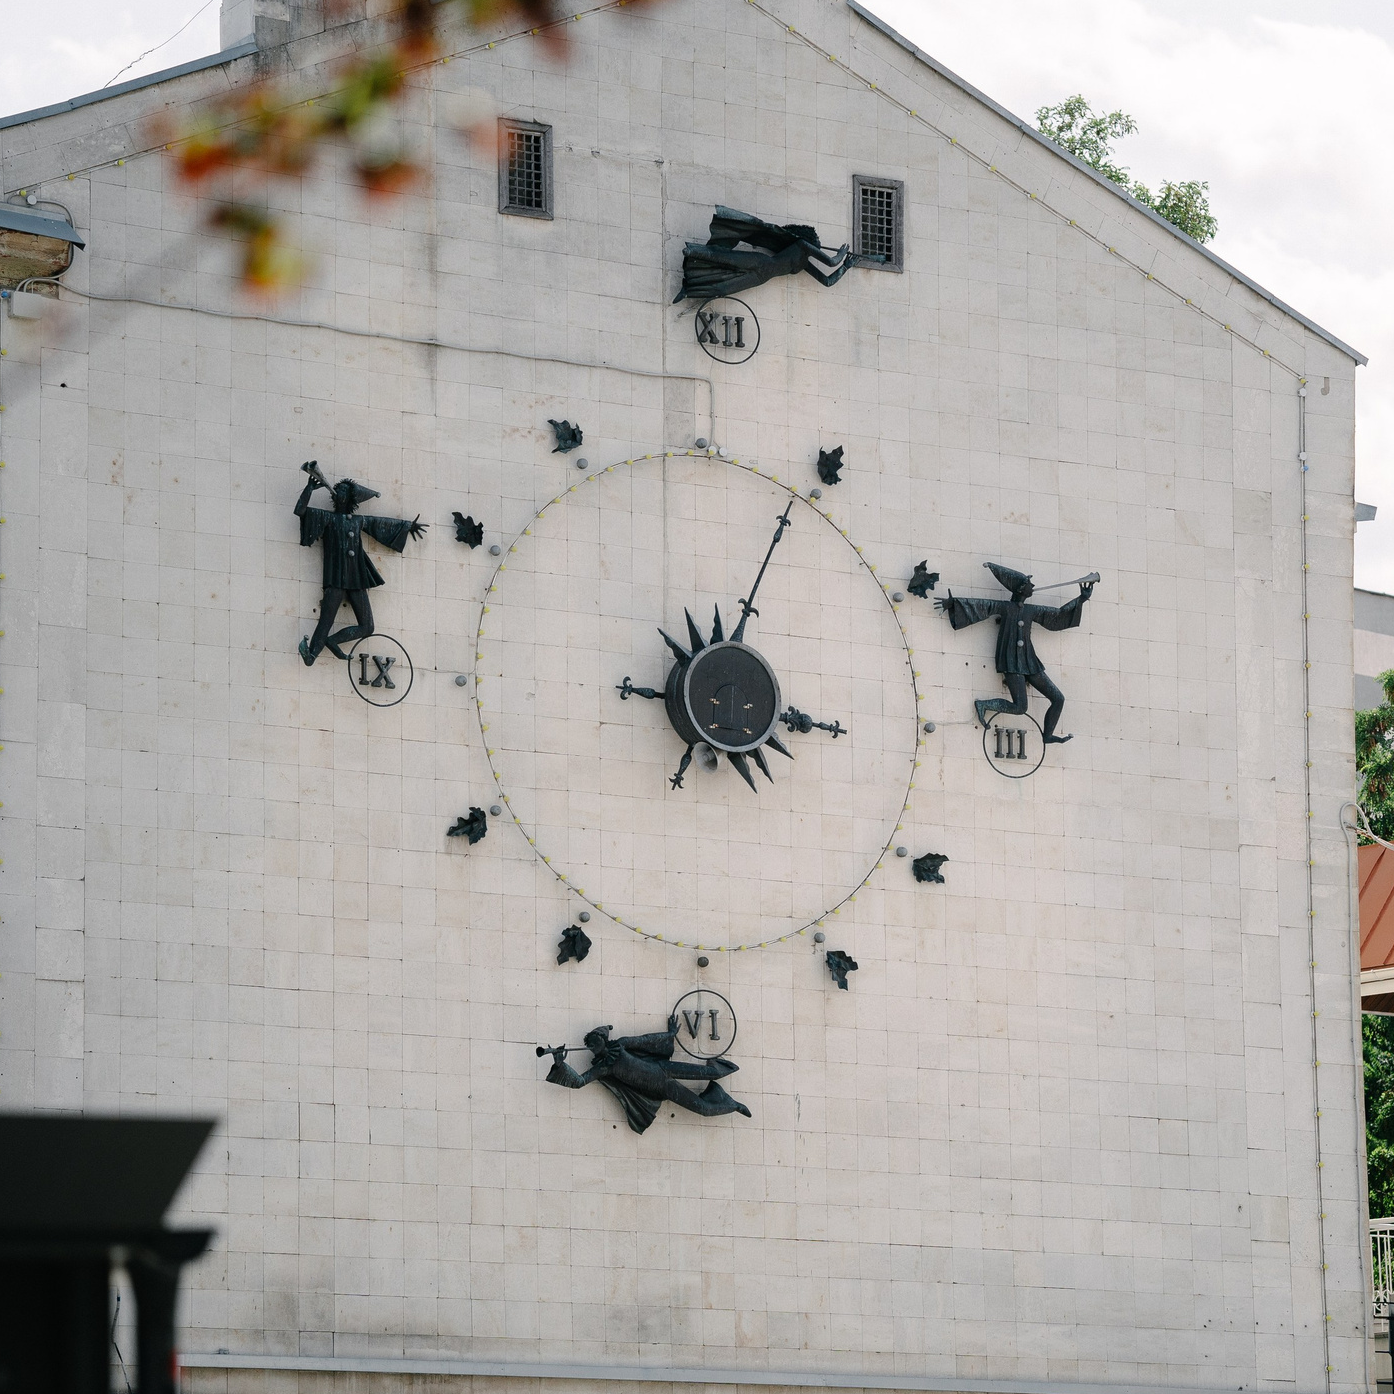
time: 3:04
